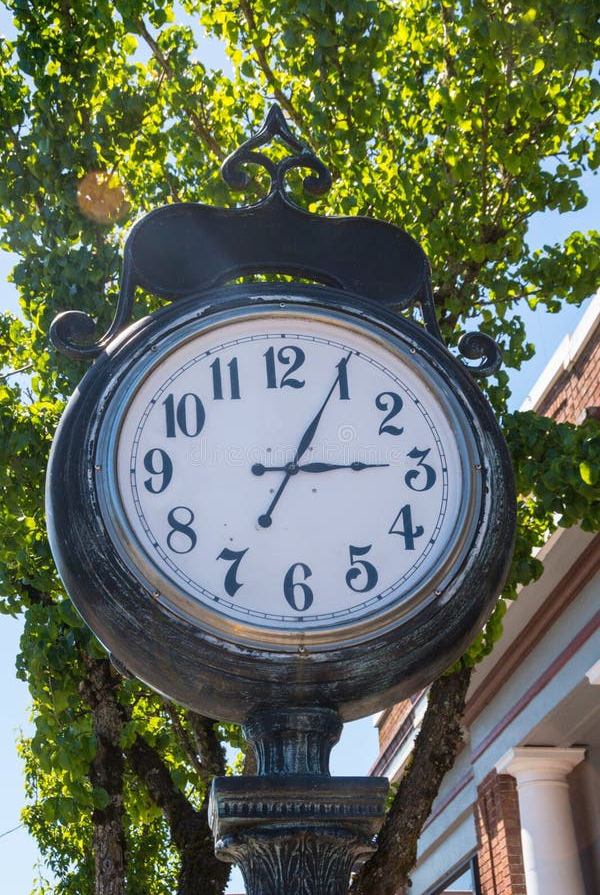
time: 3:04
